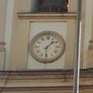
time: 1:30
